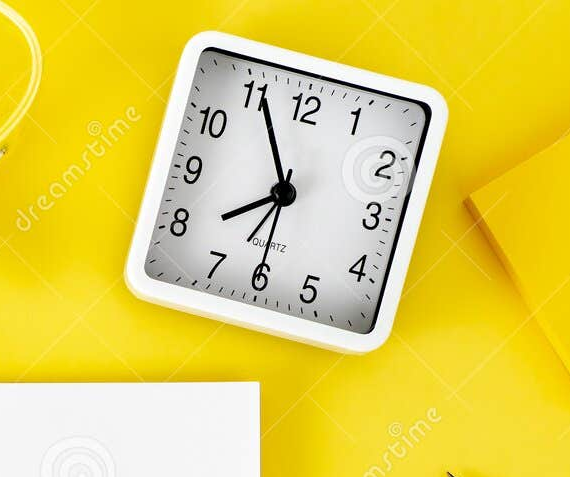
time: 7:55
